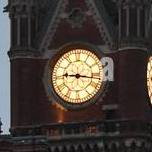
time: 9:16
